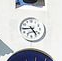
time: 4:44
